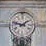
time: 1:46
